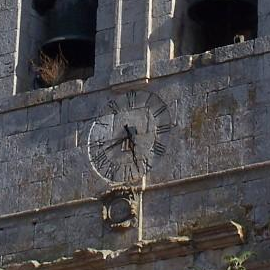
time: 8:27
